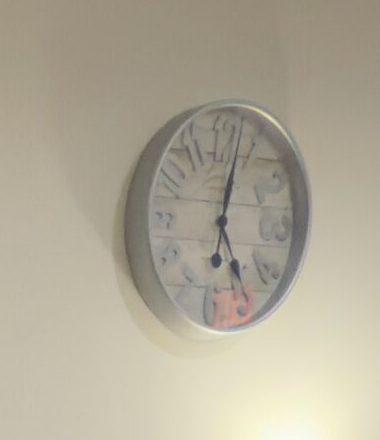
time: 5:02
